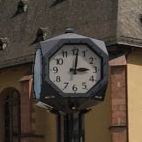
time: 3:01
